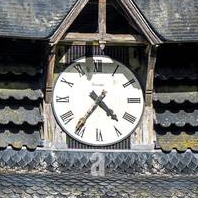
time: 4:35
